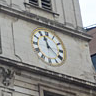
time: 11:21
